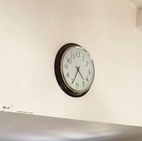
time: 4:34
